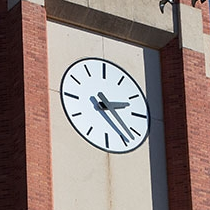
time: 2:23
